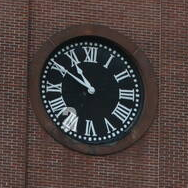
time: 10:50
